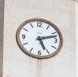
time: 5:12
